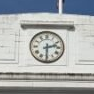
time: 2:30
